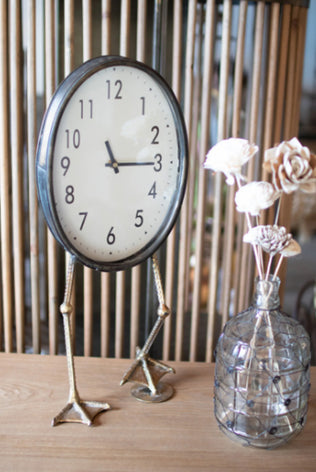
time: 11:14
